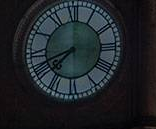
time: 7:41
